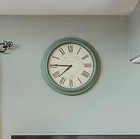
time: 7:45
